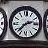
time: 2:37
